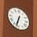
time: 6:32
